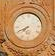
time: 7:41
